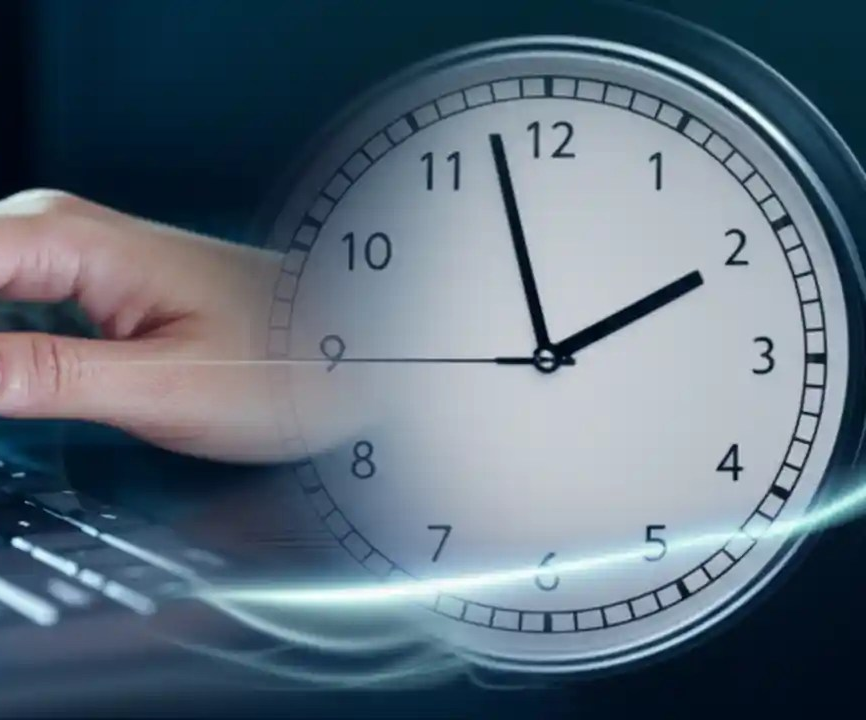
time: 1:57
